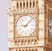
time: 9:07
